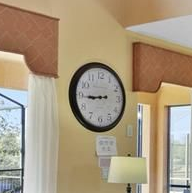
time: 8:44
